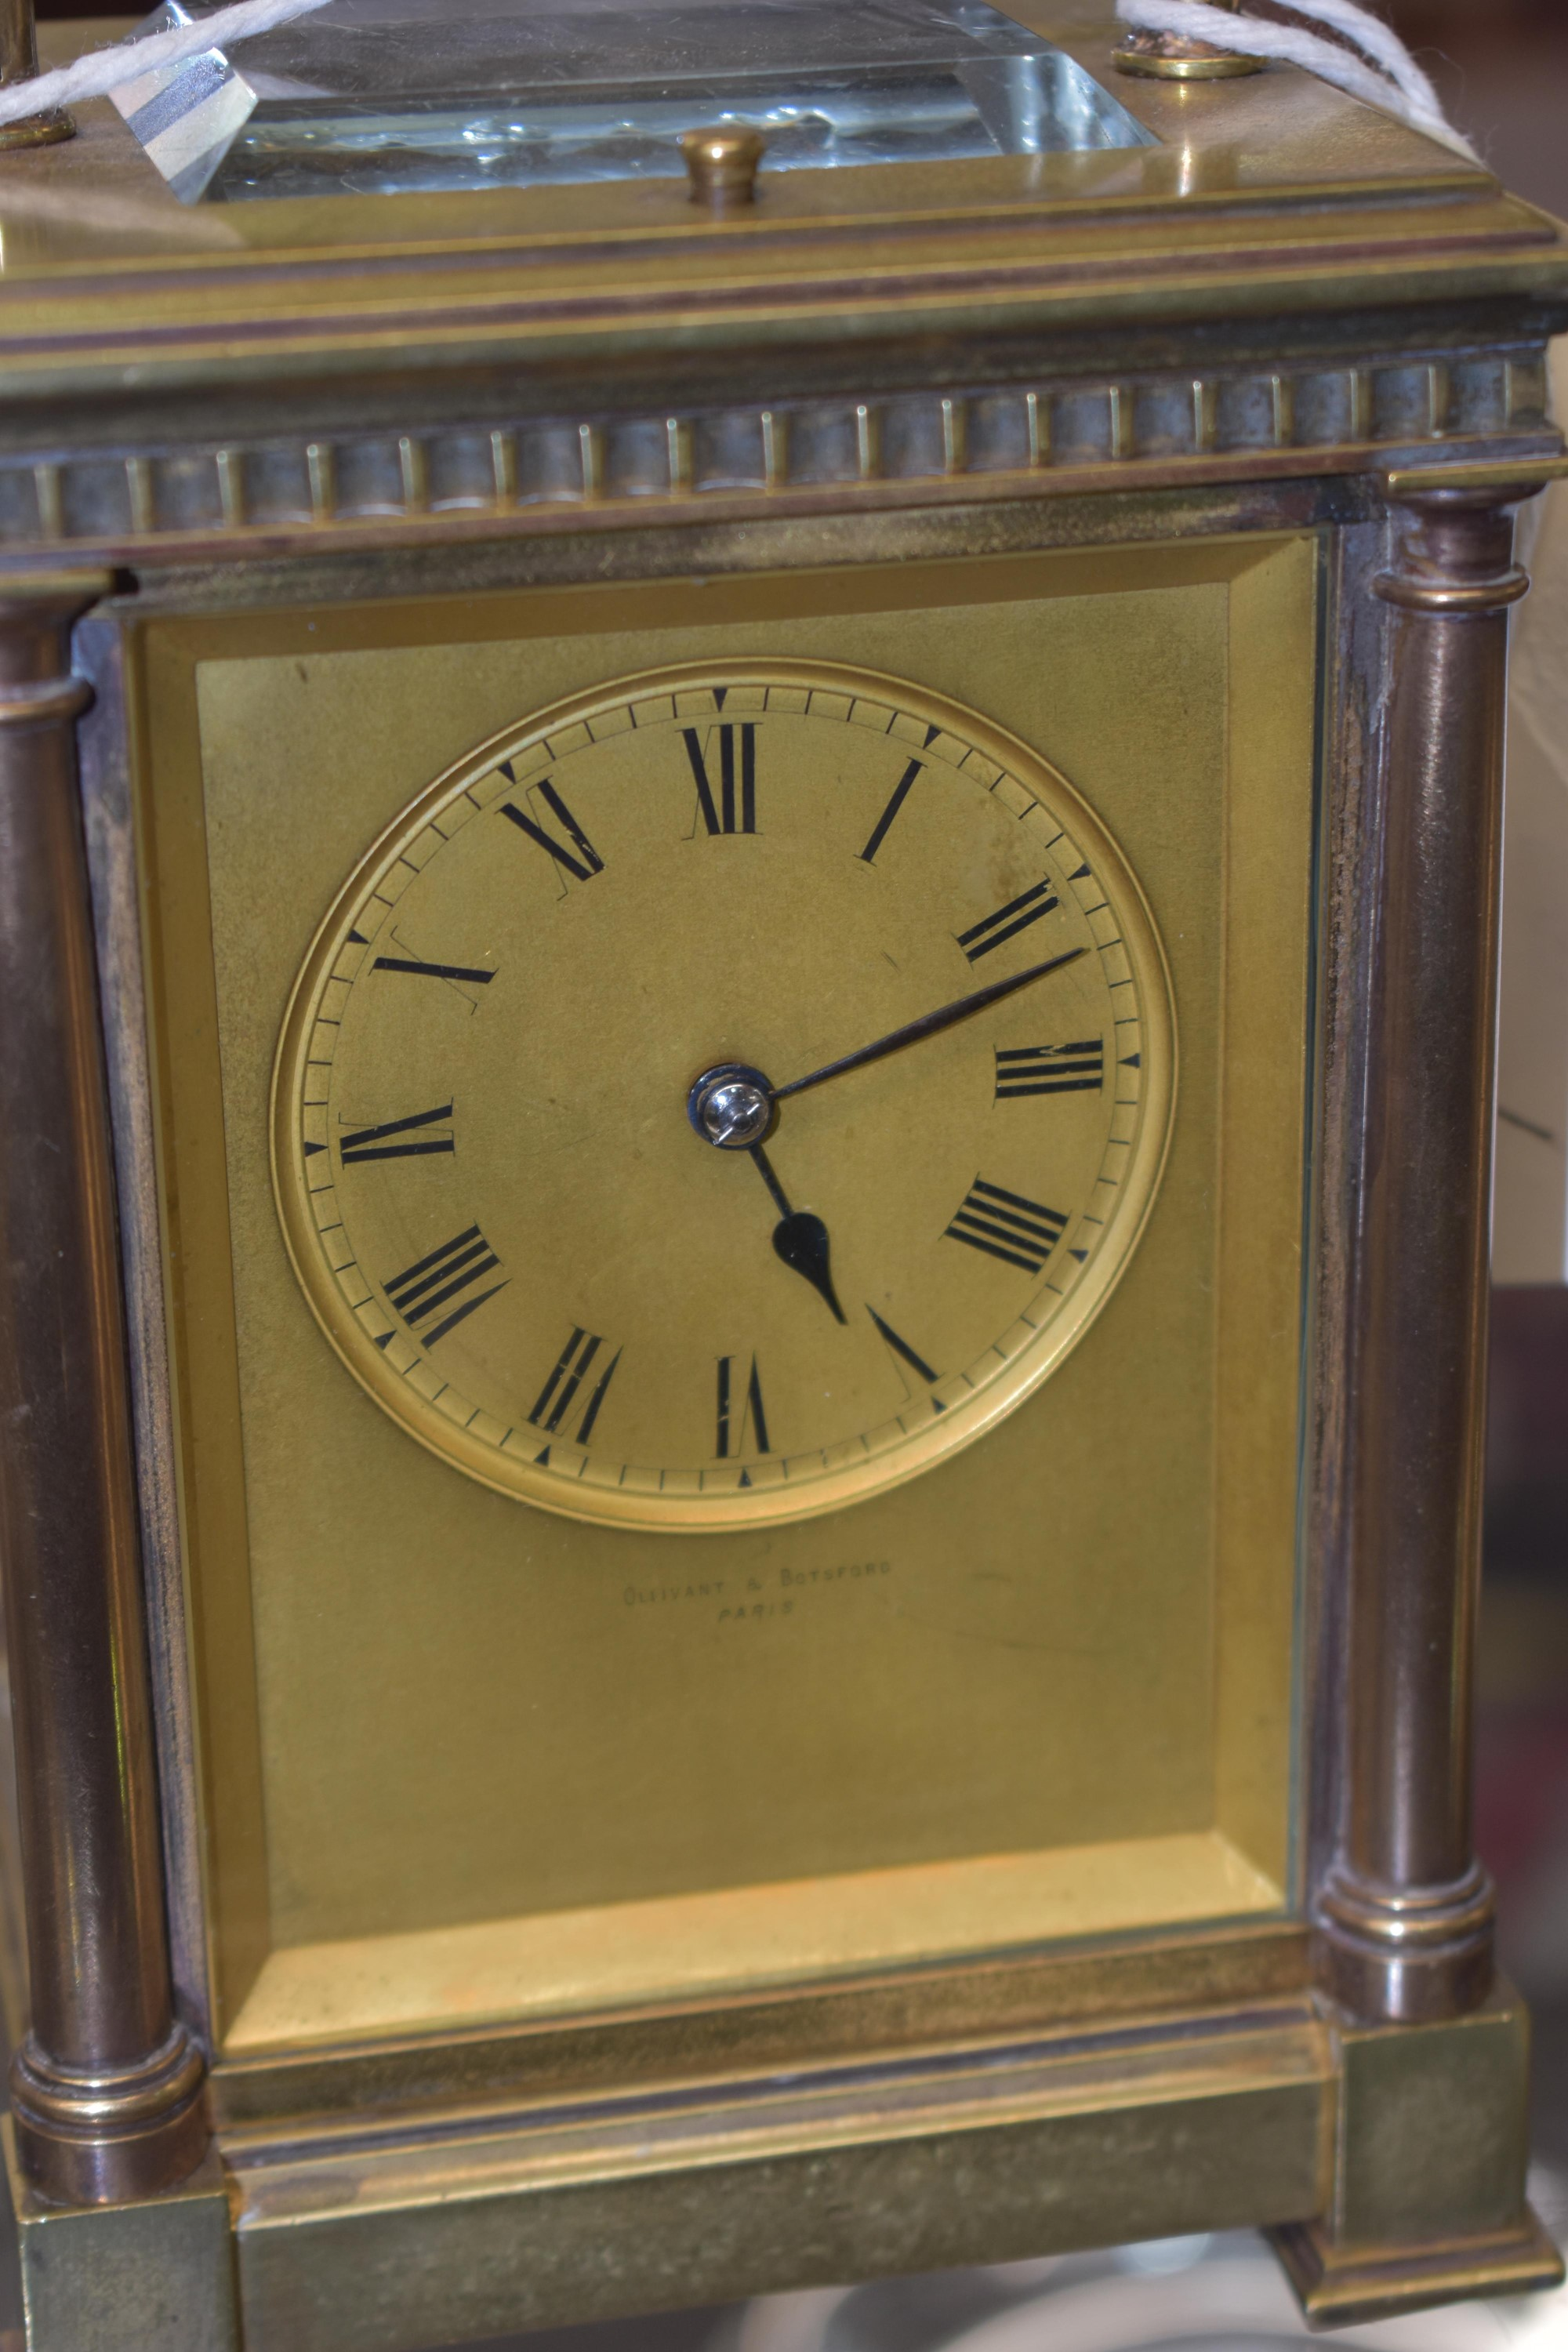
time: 5:11
